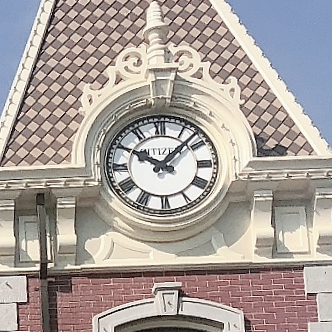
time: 10:07
